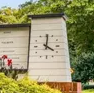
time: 4:01
